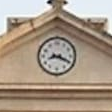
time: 8:19
